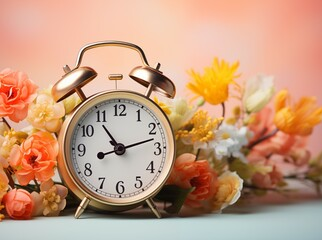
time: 8:12
